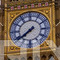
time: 7:38
